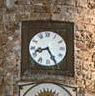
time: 8:25
